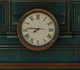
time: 7:45
